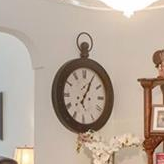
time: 1:04
